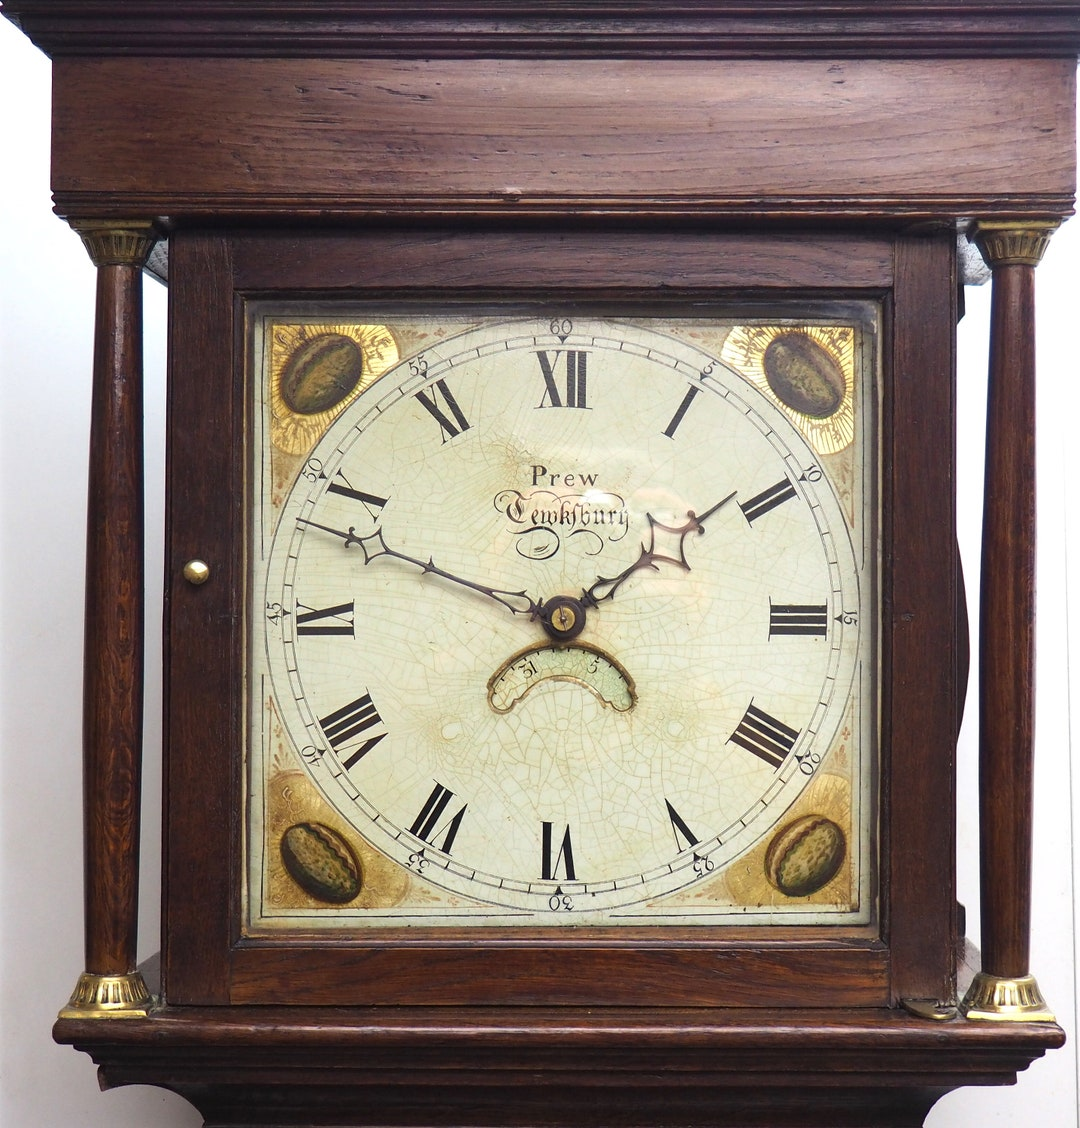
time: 1:48
